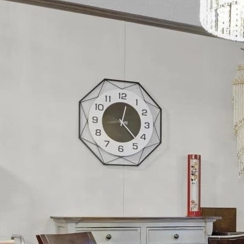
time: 12:23
